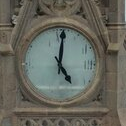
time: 5:00
